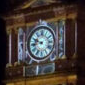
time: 9:43
